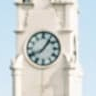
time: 8:06
